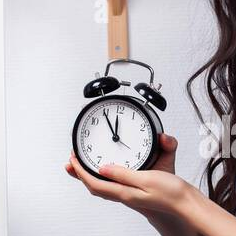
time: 11:54
